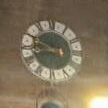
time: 9:42
